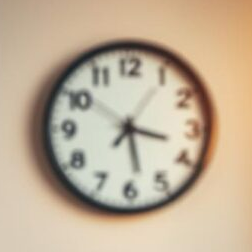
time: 3:28
